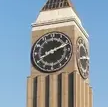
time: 8:11
